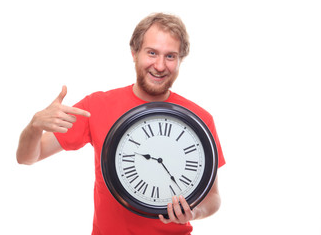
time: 9:22
